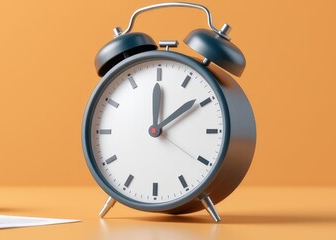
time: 12:09
